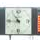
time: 10:45
